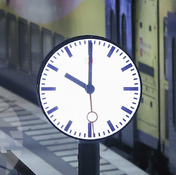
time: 10:00
